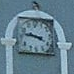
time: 3:47
